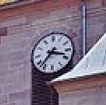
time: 3:37
